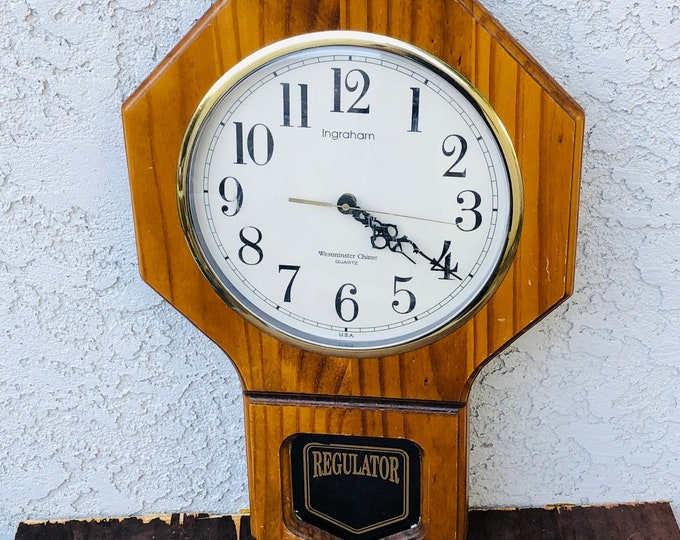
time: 4:20
